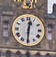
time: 12:30
